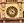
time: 6:52
